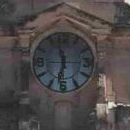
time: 11:32
